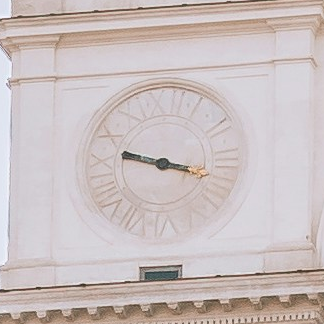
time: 9:17
